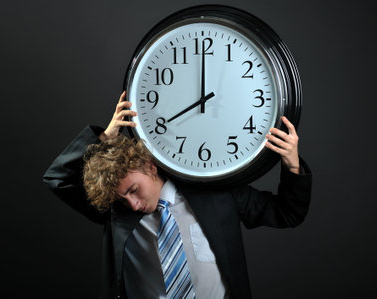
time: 8:00
